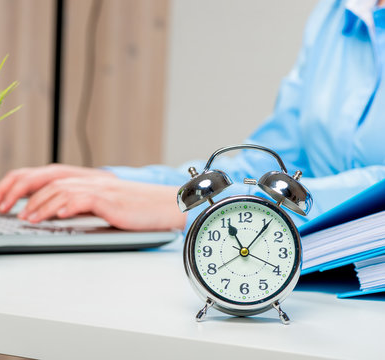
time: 11:06
